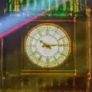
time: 10:13
